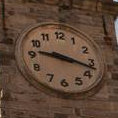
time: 9:17
